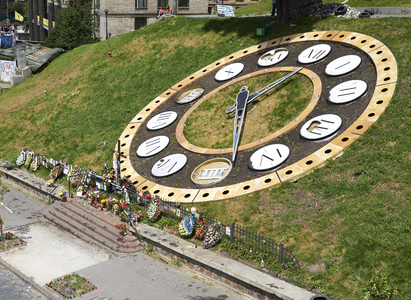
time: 1:28
